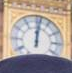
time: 12:01
